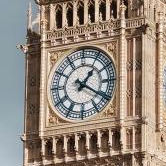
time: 1:20
